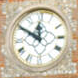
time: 11:50
